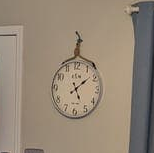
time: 5:08
